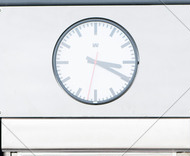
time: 3:19
